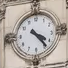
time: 4:23
